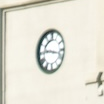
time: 9:17
